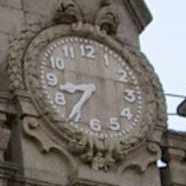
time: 8:36
